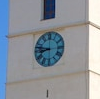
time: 8:47
